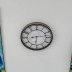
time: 6:13
